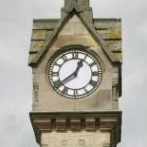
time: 12:39
